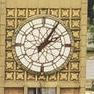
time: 2:05
